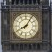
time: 8:05
